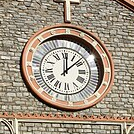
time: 12:07
